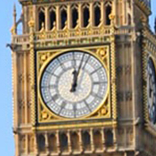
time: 12:03
